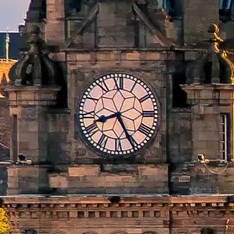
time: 8:25
